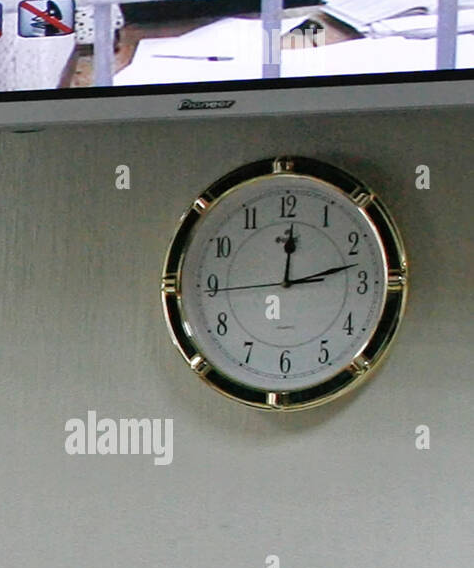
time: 12:12
